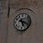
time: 5:18
